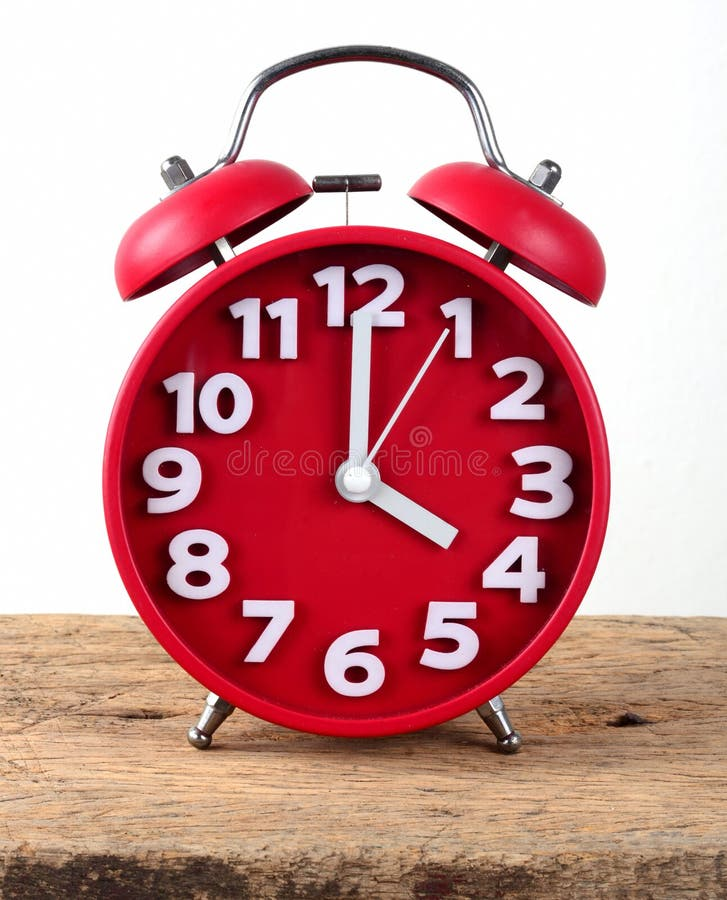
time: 4:00
